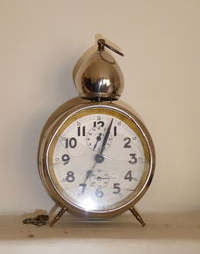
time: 7:03
